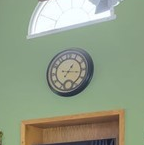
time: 1:16
